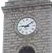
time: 9:08
